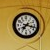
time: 7:17
